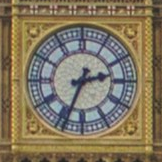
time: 2:33
